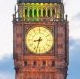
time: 8:32
